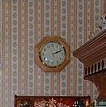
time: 2:11
